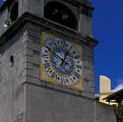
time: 12:49
